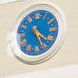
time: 4:26
